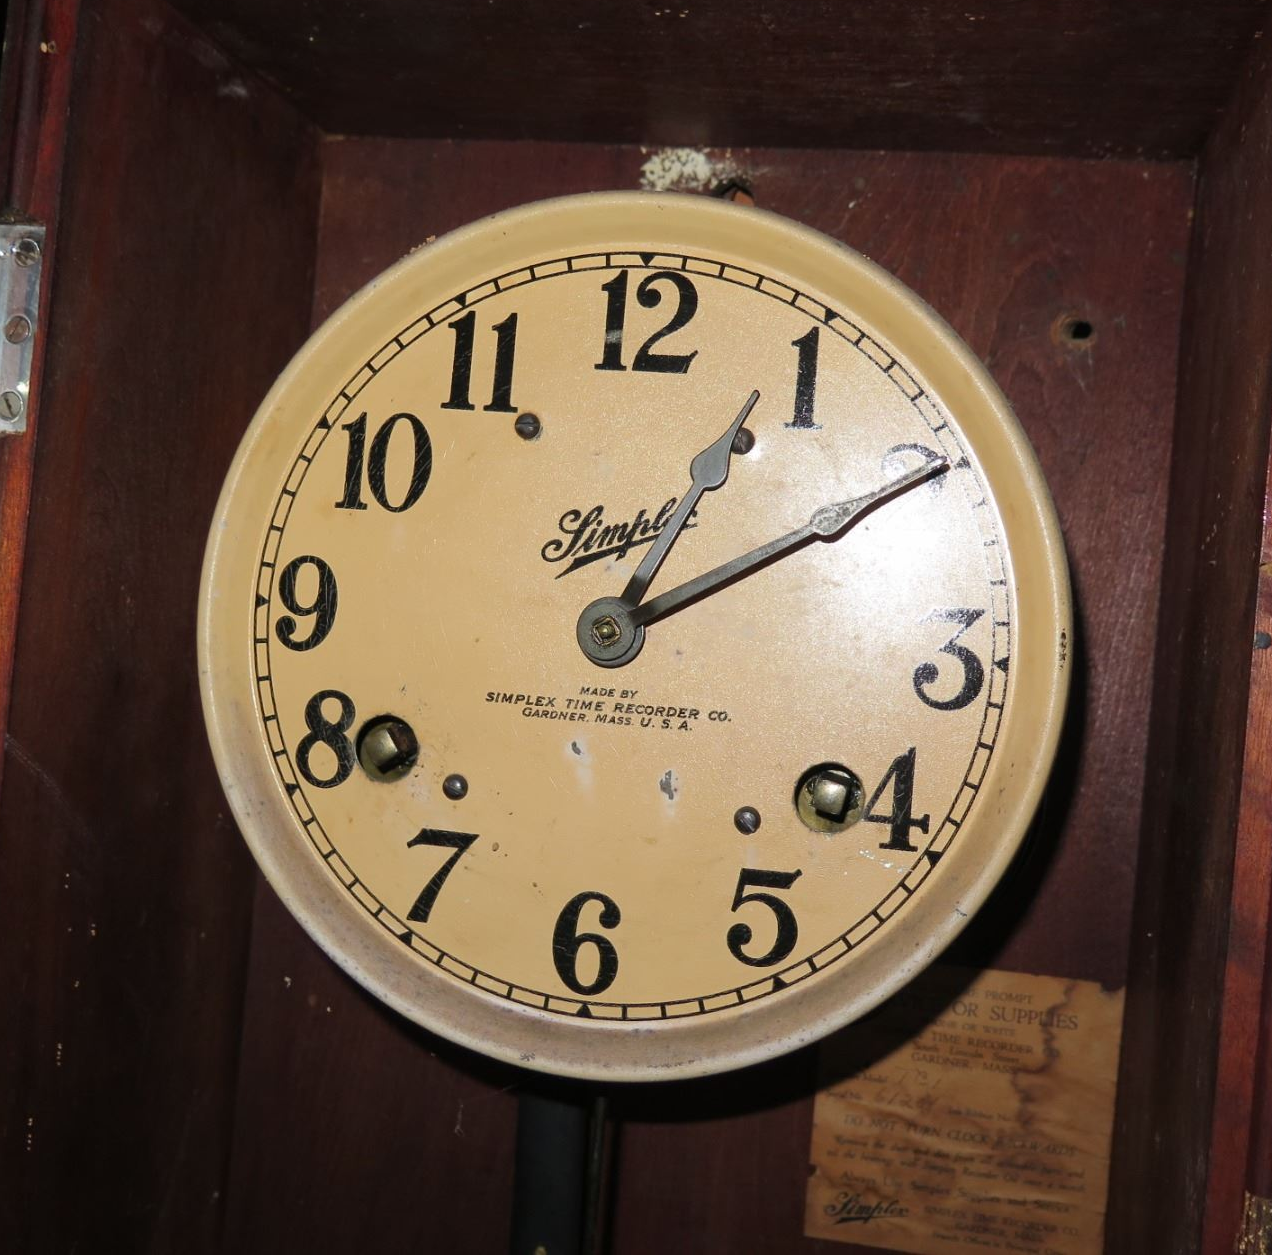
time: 1:09
